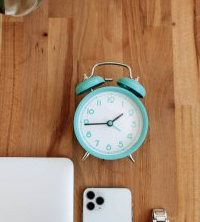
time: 1:44
